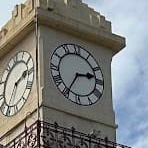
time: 2:34
